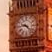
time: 9:22
